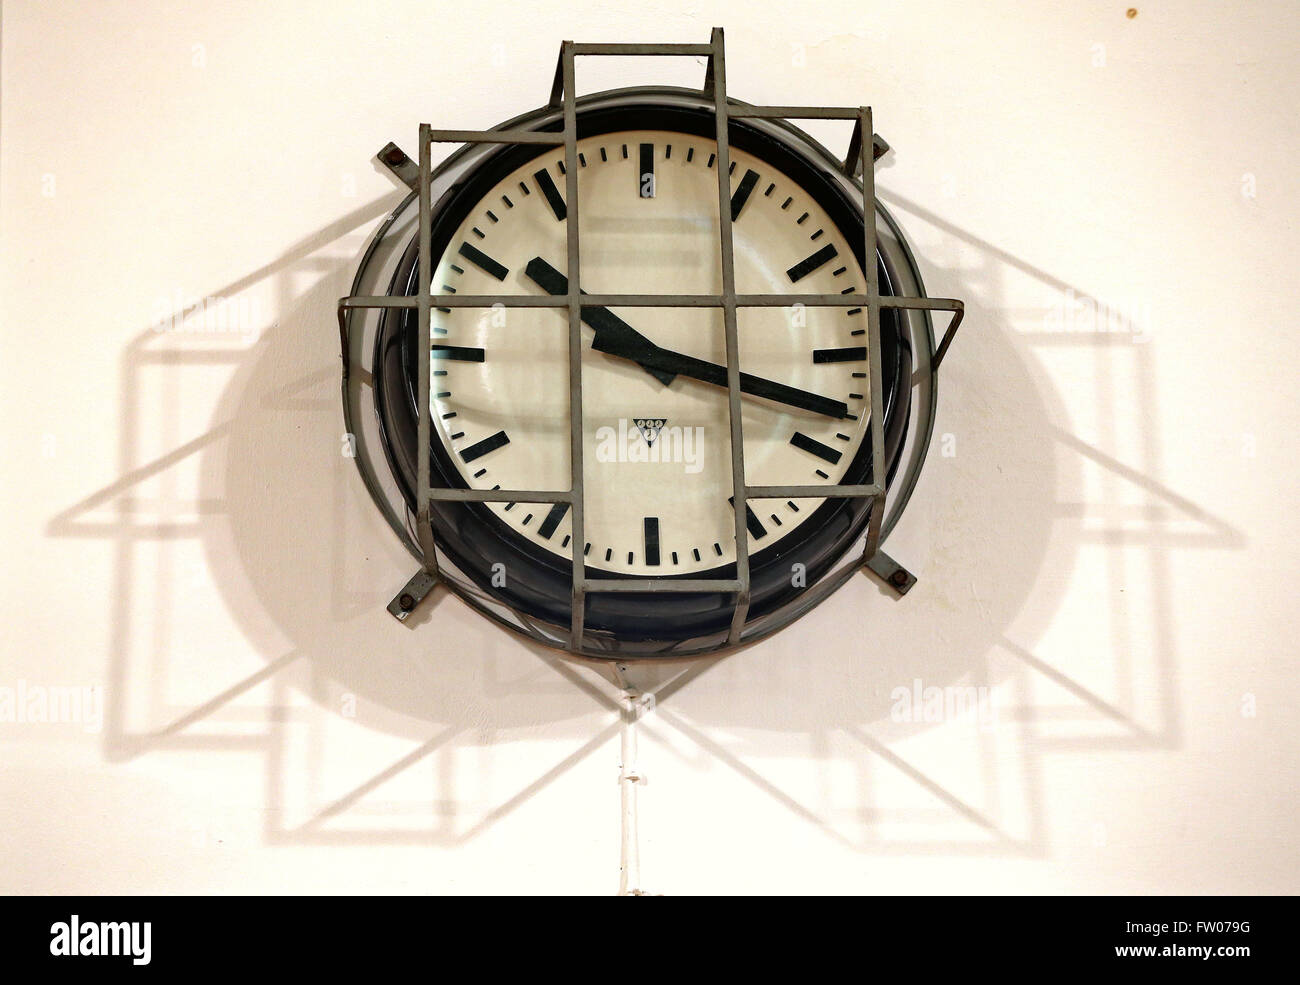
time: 10:18
